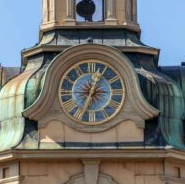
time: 12:33
